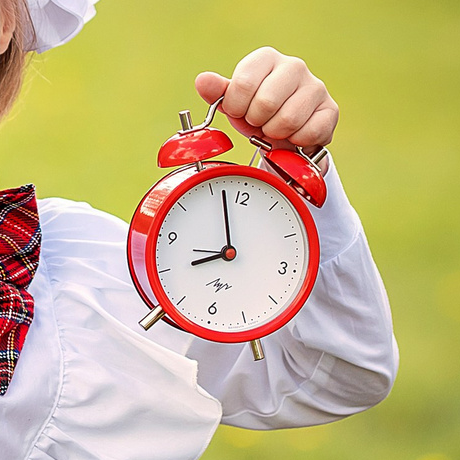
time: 7:57
